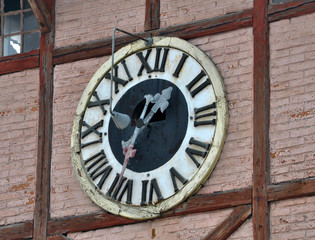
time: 1:35
